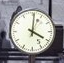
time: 4:01
